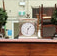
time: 1:32
